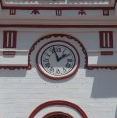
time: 1:56
